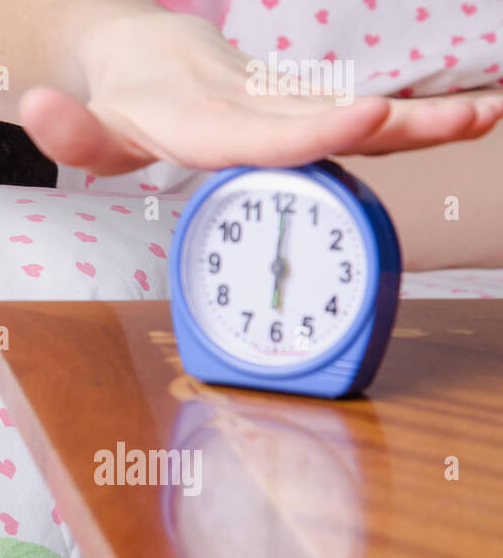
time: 6:00
